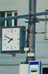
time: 7:48
